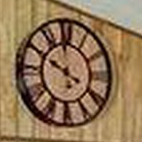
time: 3:49
